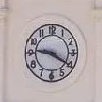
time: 9:20
